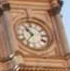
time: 10:36
